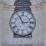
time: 11:13
